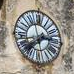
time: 7:57
